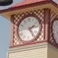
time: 2:24
